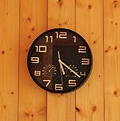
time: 5:21
